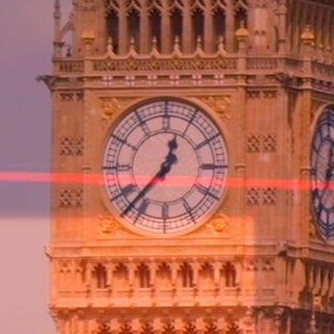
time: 12:37
